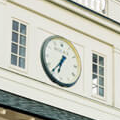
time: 6:36
